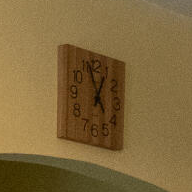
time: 12:56
